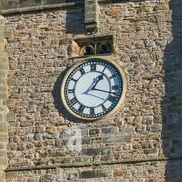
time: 1:17
